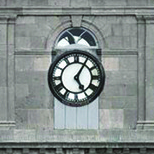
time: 5:05
